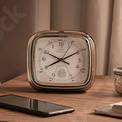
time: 8:10
